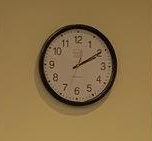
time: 2:09
